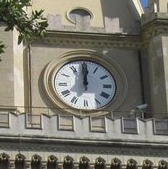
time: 12:00
